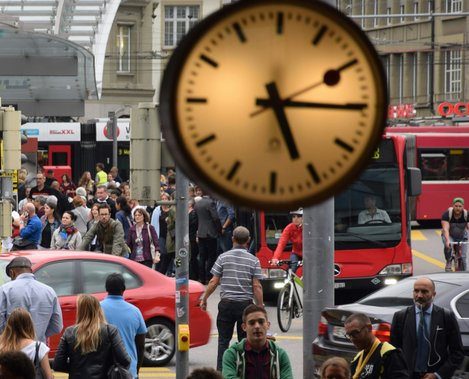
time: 5:15
